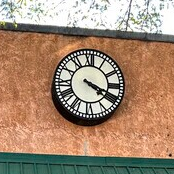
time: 4:18
